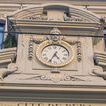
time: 4:34
